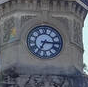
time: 7:15
